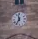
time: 11:35
